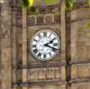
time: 2:18
